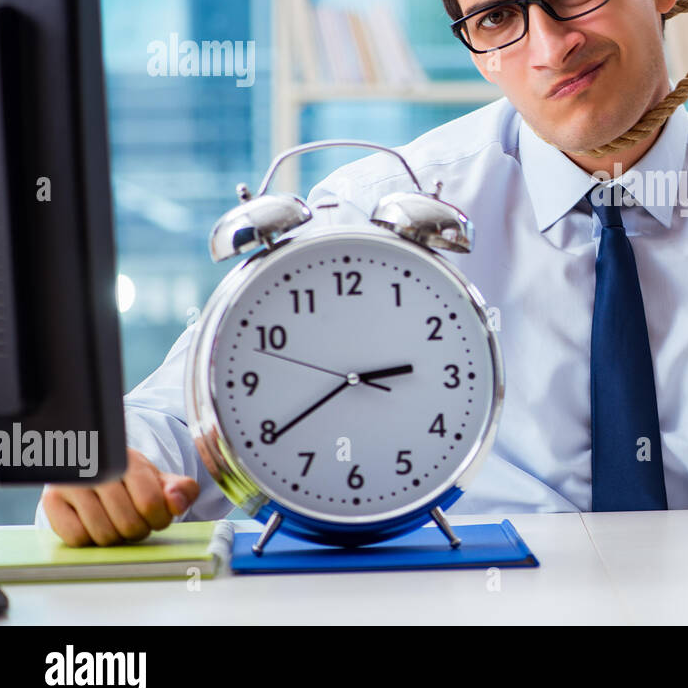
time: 2:39
